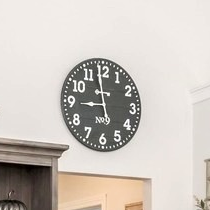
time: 8:58
